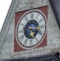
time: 5:18
